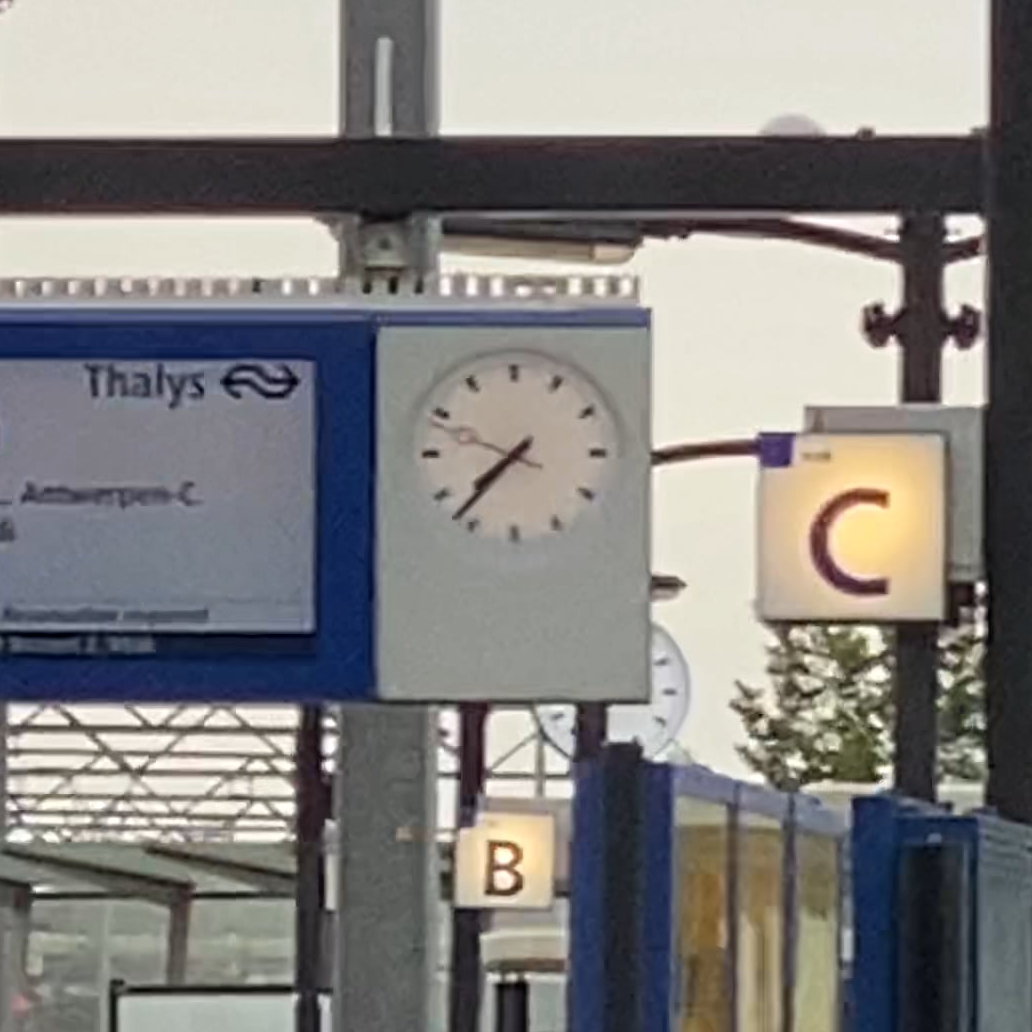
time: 7:37
